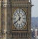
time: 11:39
